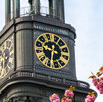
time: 9:32
